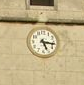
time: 5:16
